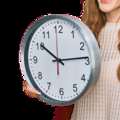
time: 10:13
